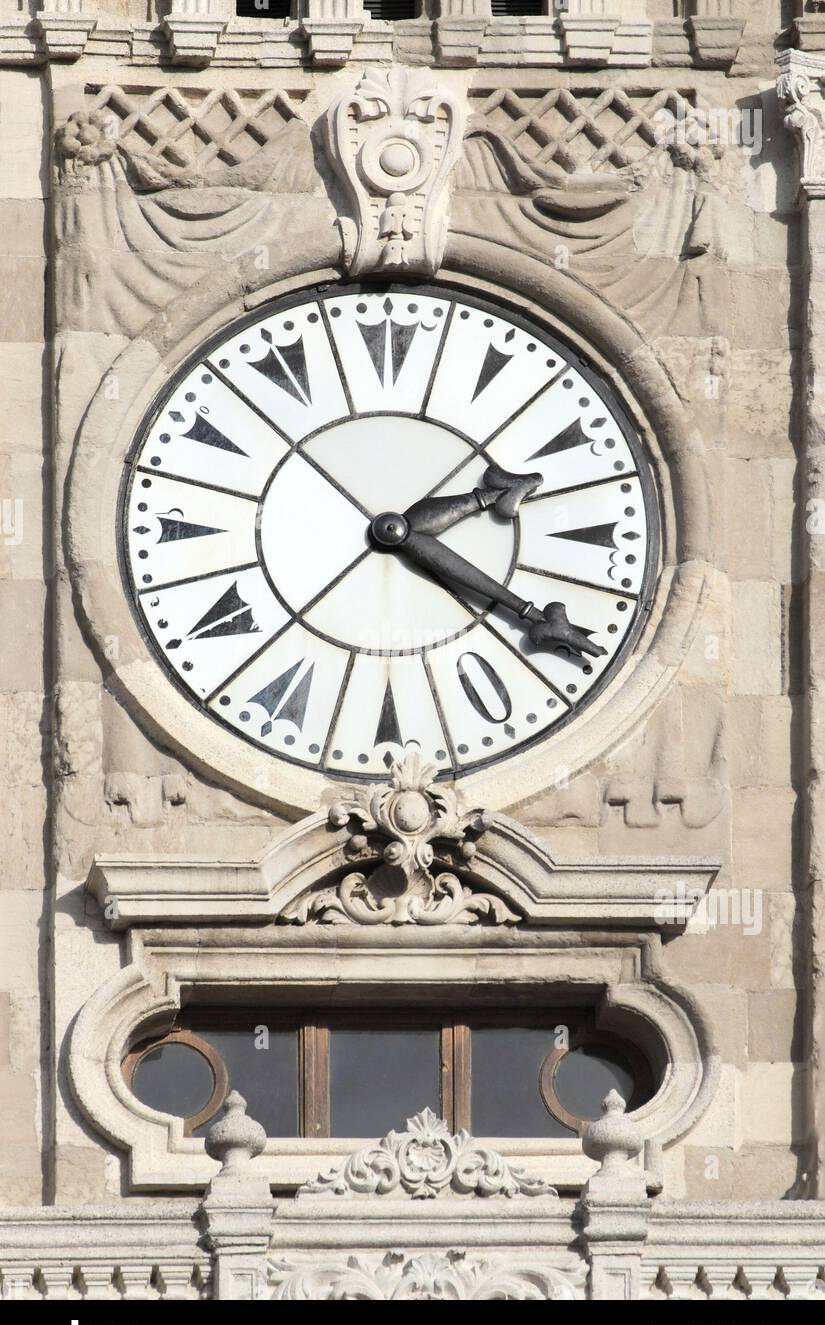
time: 2:20
